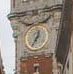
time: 12:34
